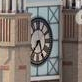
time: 7:25
